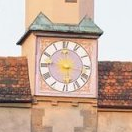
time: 5:46
